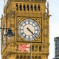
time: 4:22
